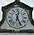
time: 12:26
